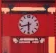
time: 8:30
